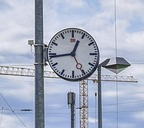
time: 12:43
